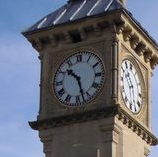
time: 10:27
